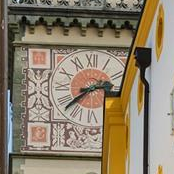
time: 2:38
